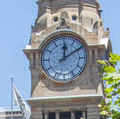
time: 12:09
